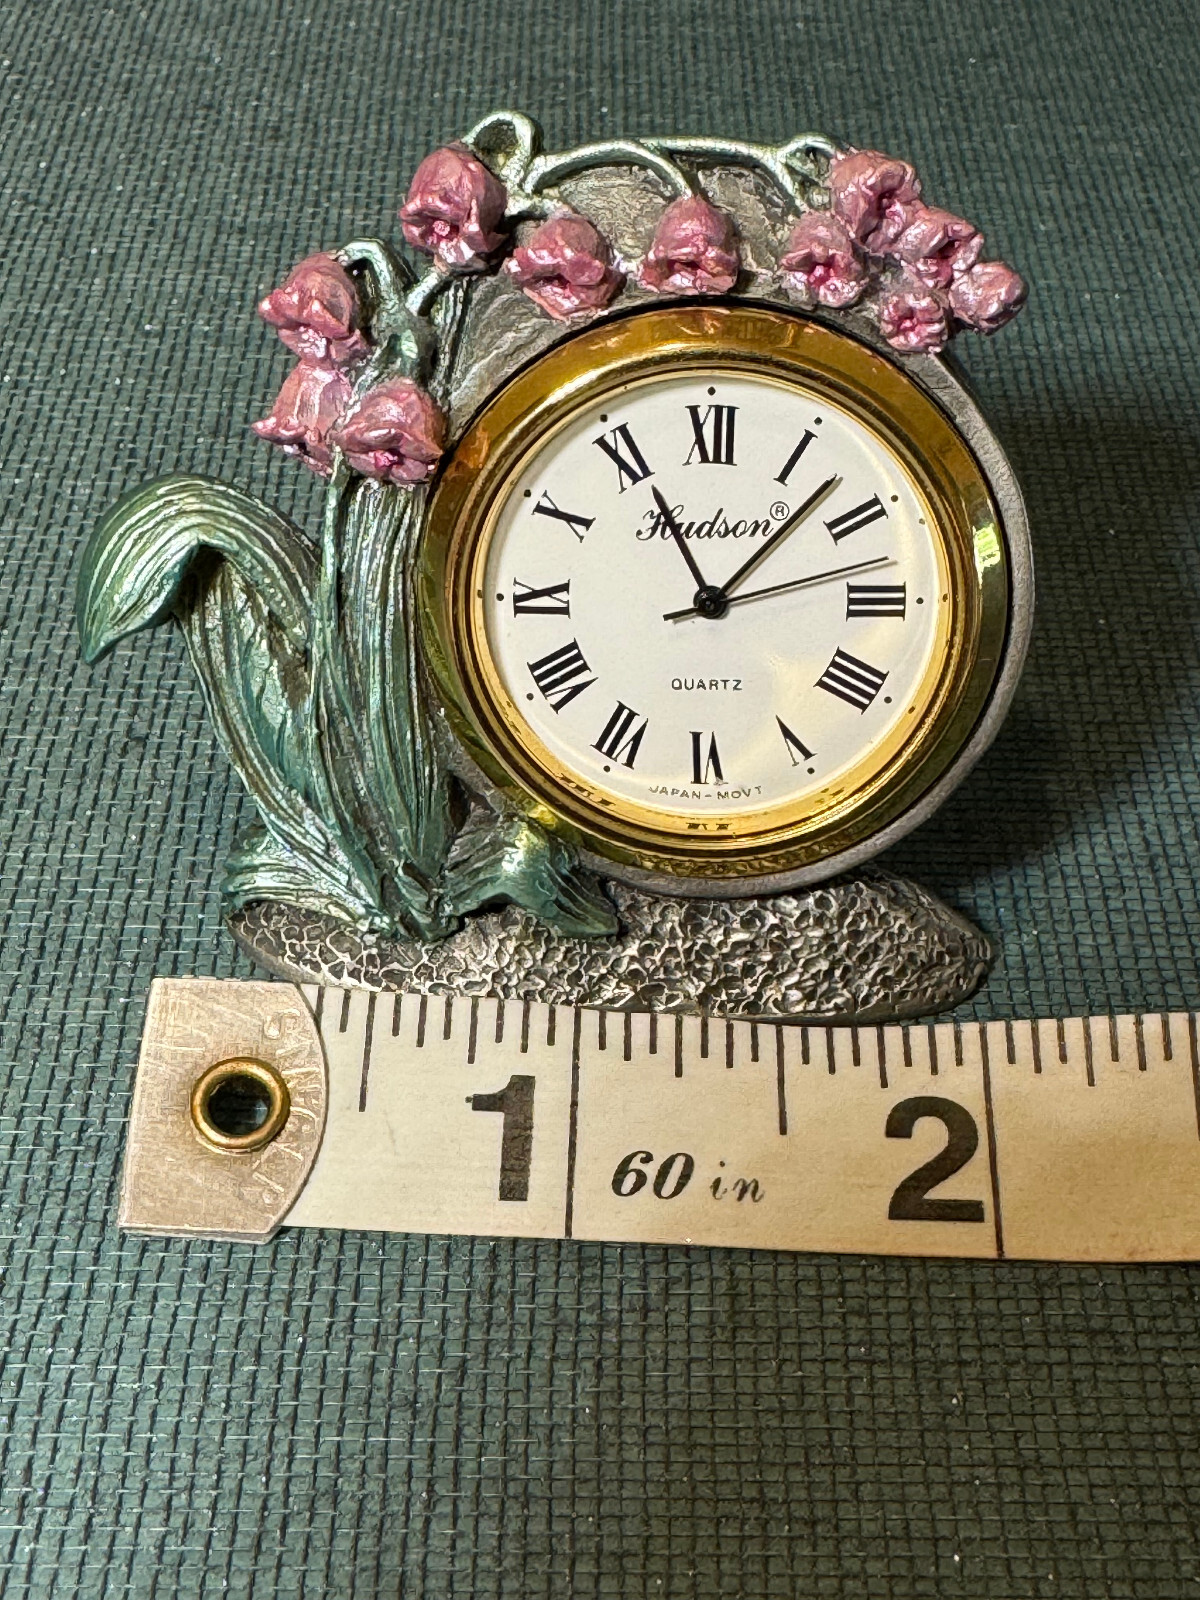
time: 11:07
